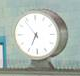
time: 6:53
